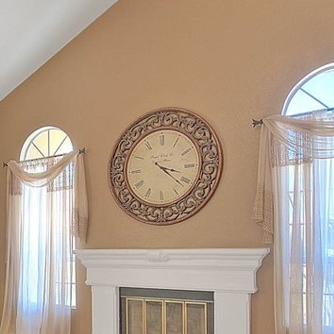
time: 3:21
